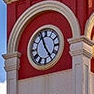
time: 4:56
